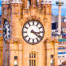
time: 3:21
